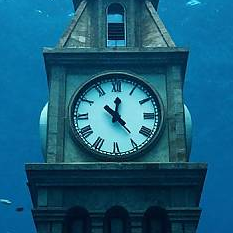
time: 12:23
